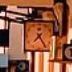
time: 7:24
